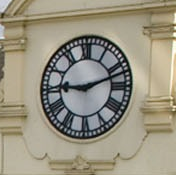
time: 9:11
